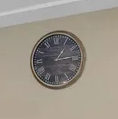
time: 1:13
